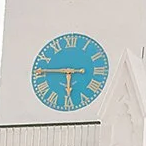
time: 5:45
